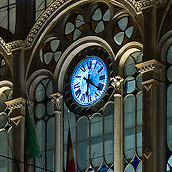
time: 6:20
